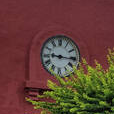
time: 9:15
